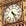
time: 4:26
